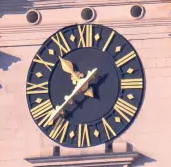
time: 10:37
